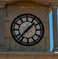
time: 1:37
